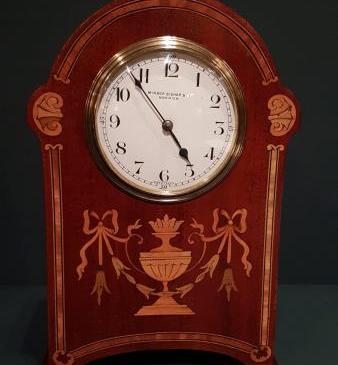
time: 4:53
